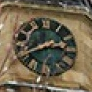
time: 2:40
